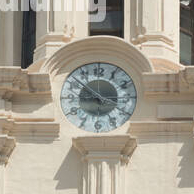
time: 8:51
